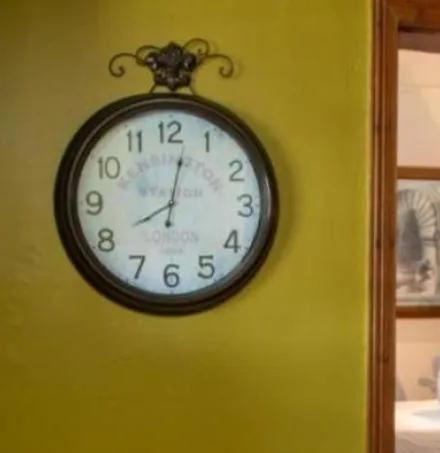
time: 8:02
